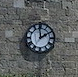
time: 1:59
